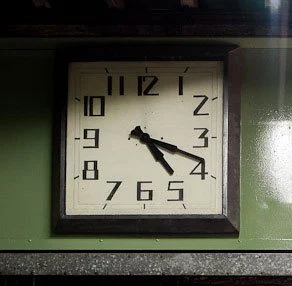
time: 4:18
